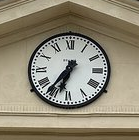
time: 6:36
